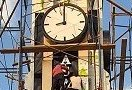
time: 8:59
